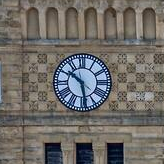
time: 10:28
